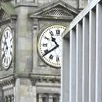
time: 10:39
